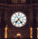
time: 7:23
